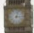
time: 3:02
